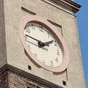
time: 1:46
